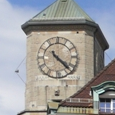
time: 4:22
